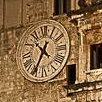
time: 10:34
